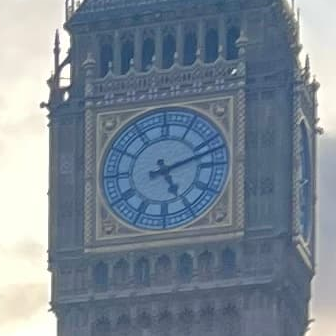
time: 5:11
